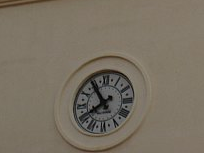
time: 7:54
